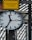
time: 11:34
